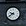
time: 9:39
